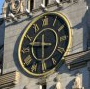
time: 11:47
